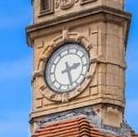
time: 2:27
